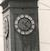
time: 1:21
